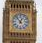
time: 12:53
